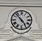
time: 4:52
